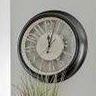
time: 12:02
